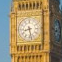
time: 8:27
